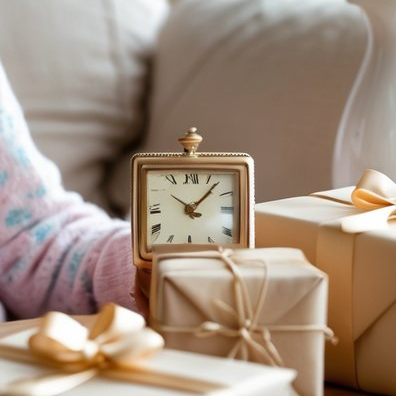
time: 10:07
